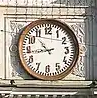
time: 10:43
